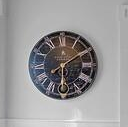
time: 6:09
